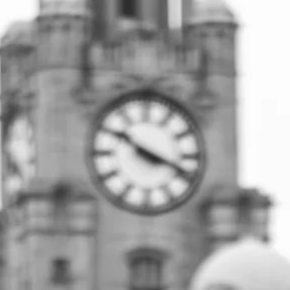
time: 10:18
